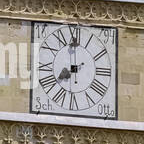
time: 7:59
